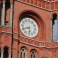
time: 5:41
